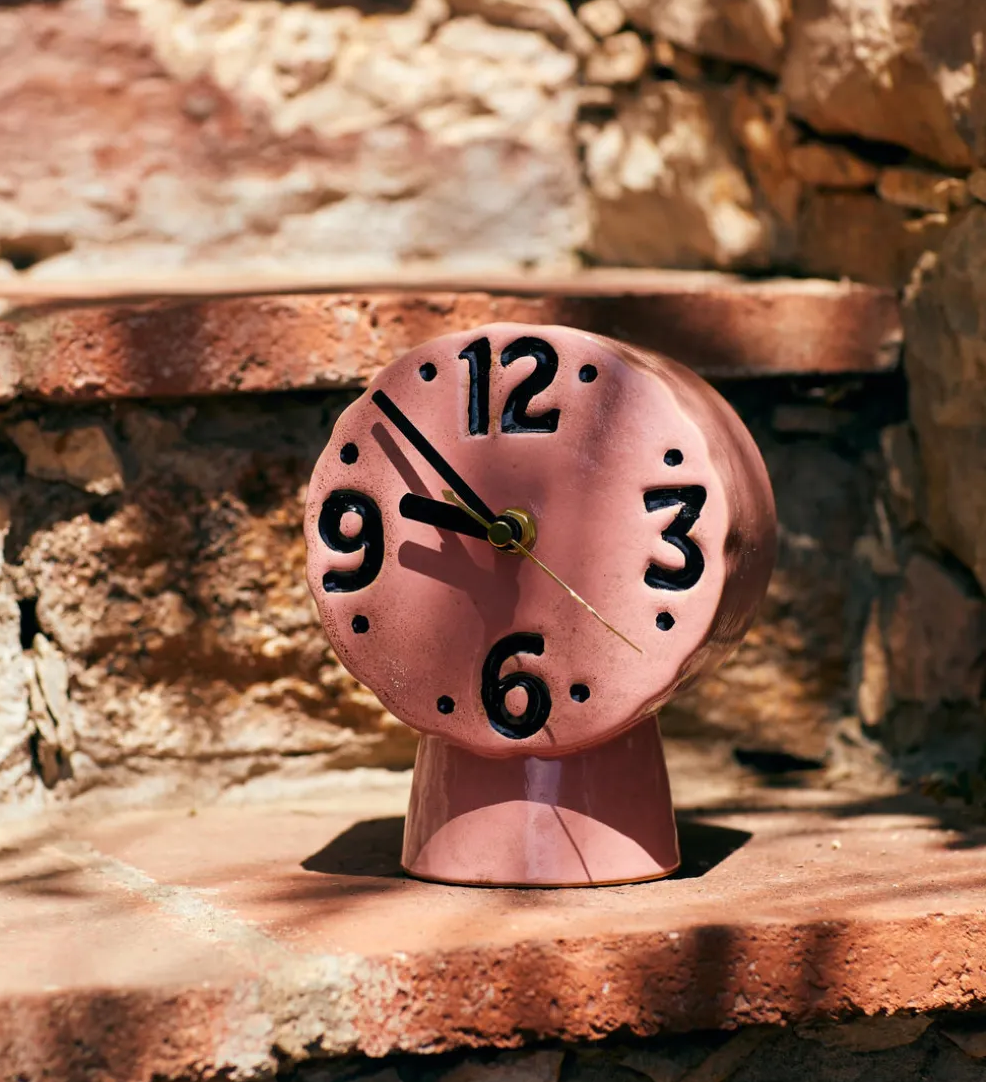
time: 9:53
